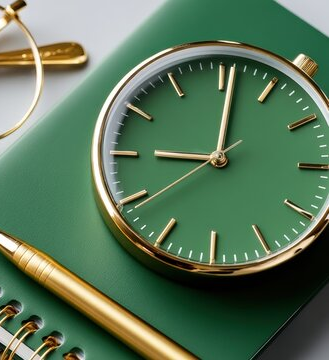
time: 9:01
